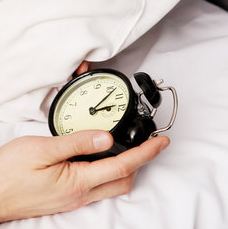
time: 3:08
